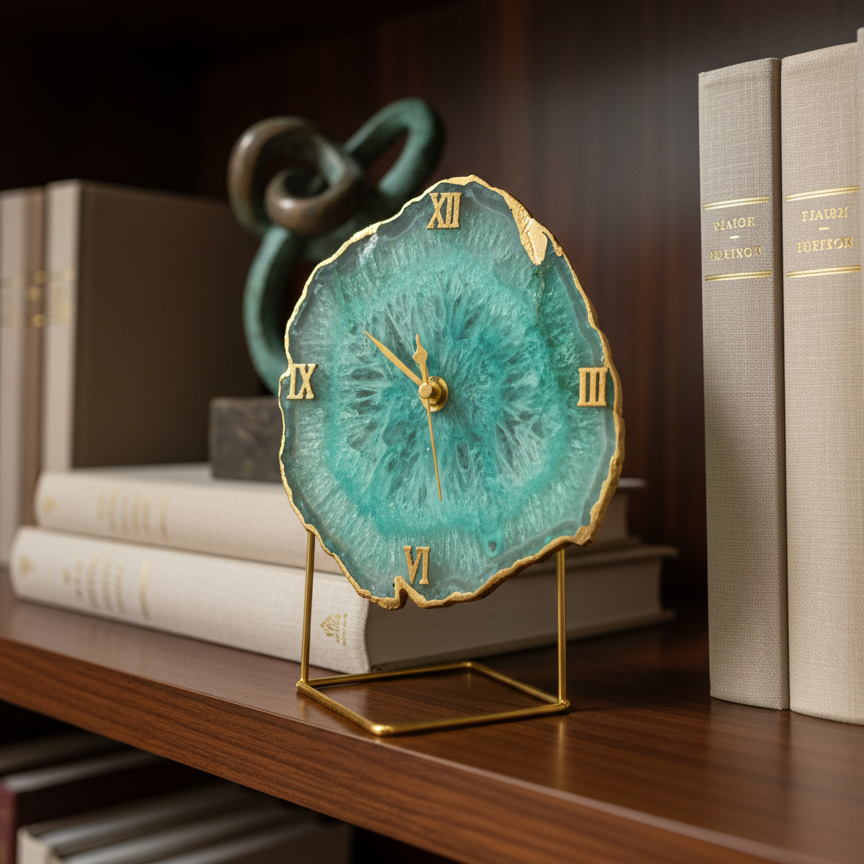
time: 10:50
